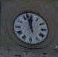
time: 11:57
